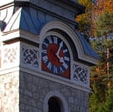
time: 4:04
